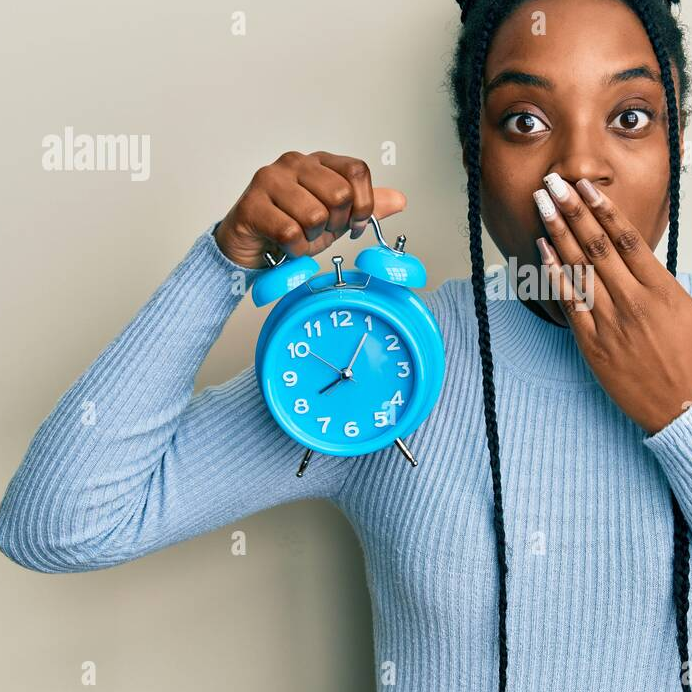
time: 8:05
